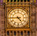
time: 4:44
